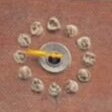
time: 8:46
